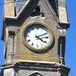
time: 4:11
